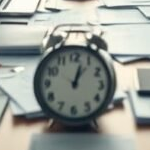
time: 1:02
